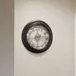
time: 6:13
